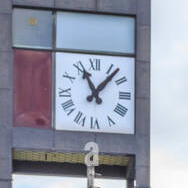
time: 11:07
